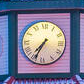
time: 7:34
